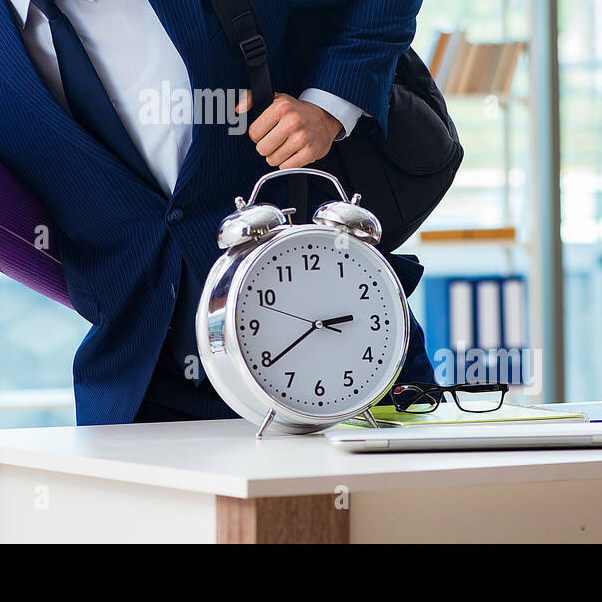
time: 2:39
